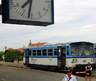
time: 7:31
